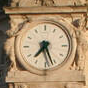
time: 7:26
